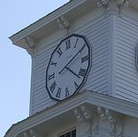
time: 4:10
